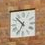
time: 10:34
